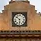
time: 5:51
